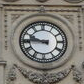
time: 9:45
